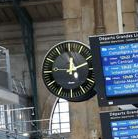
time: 12:11
